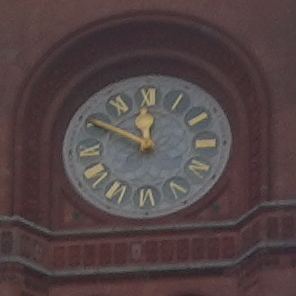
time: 11:50
